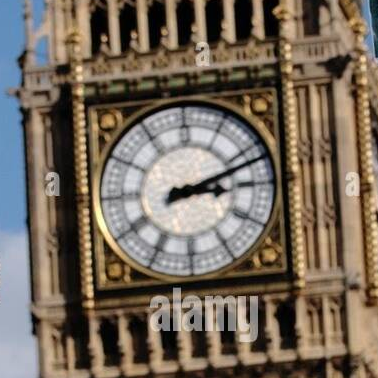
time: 3:11
